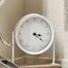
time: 3:21
